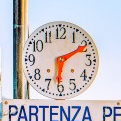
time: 6:10
